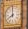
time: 7:59
